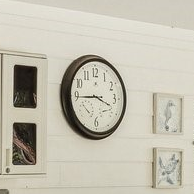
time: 3:44
